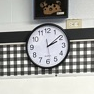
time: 2:09
